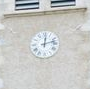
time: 12:12
